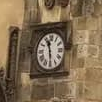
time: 11:29
